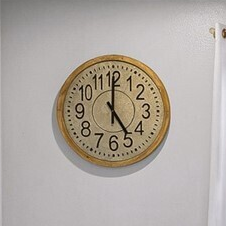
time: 5:00
